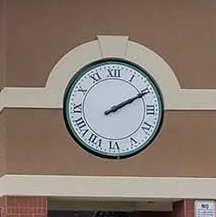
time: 2:10
